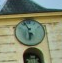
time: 5:56
